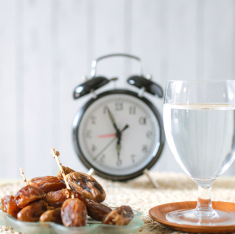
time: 5:56
